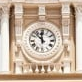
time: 11:52
